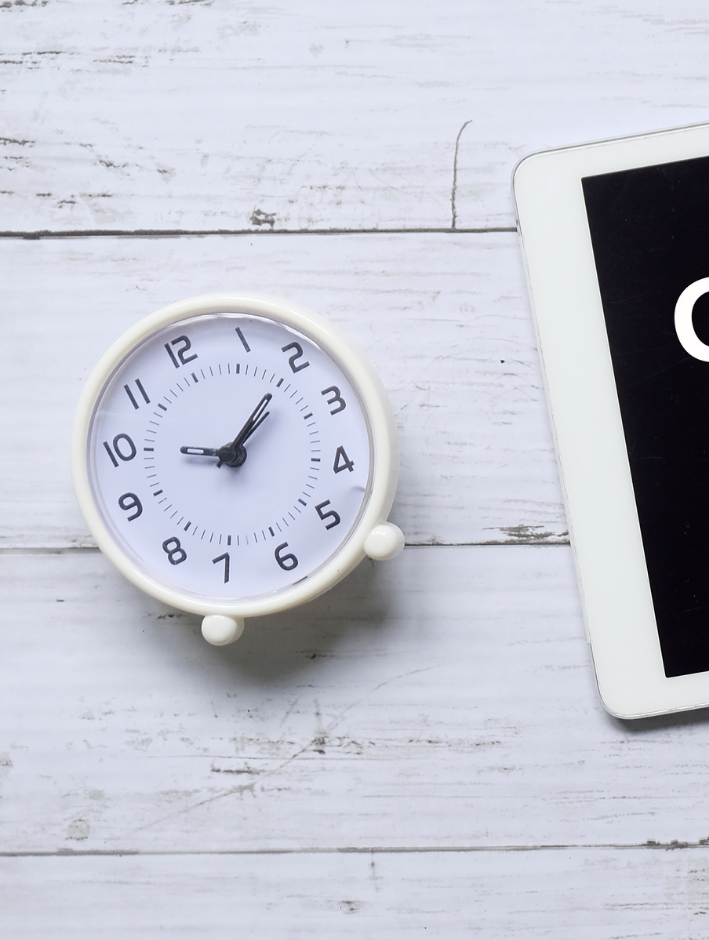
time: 9:10
